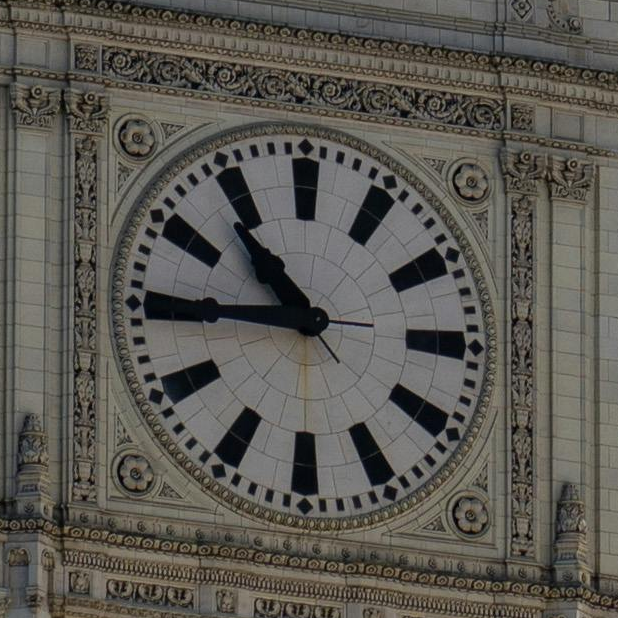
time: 10:45
